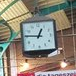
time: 12:46
